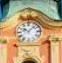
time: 10:07
